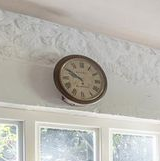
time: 9:50
